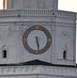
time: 5:28
